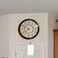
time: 7:49
